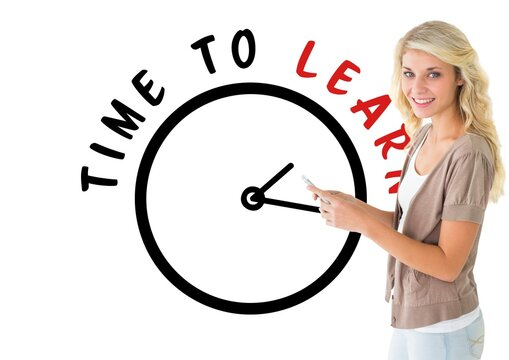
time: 1:16
